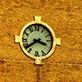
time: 3:38
